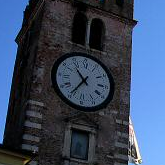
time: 10:35
